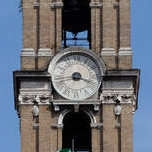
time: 3:43
